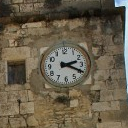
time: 2:19
